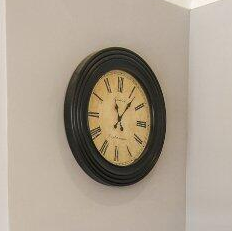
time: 11:06
